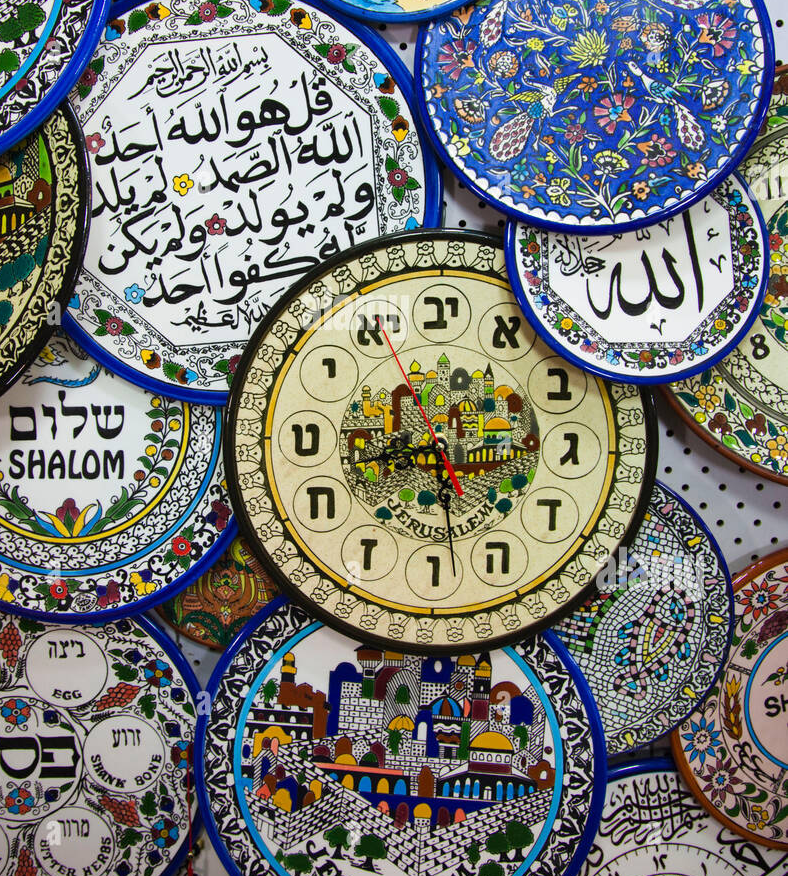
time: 8:28
